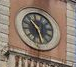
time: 10:28
